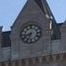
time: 8:33
